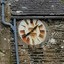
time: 1:39
